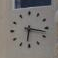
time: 6:17
